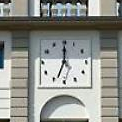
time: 7:00
